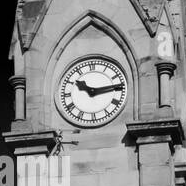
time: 10:13
